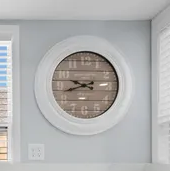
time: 9:42
